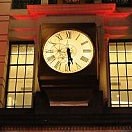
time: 5:29
